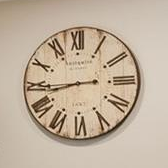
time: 8:43
